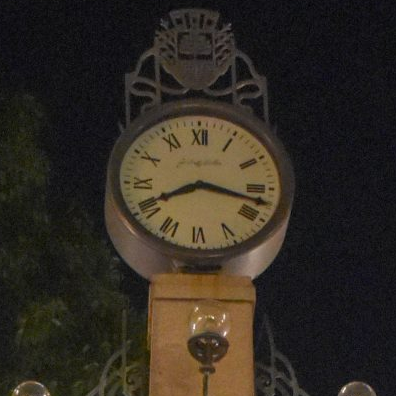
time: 8:17
